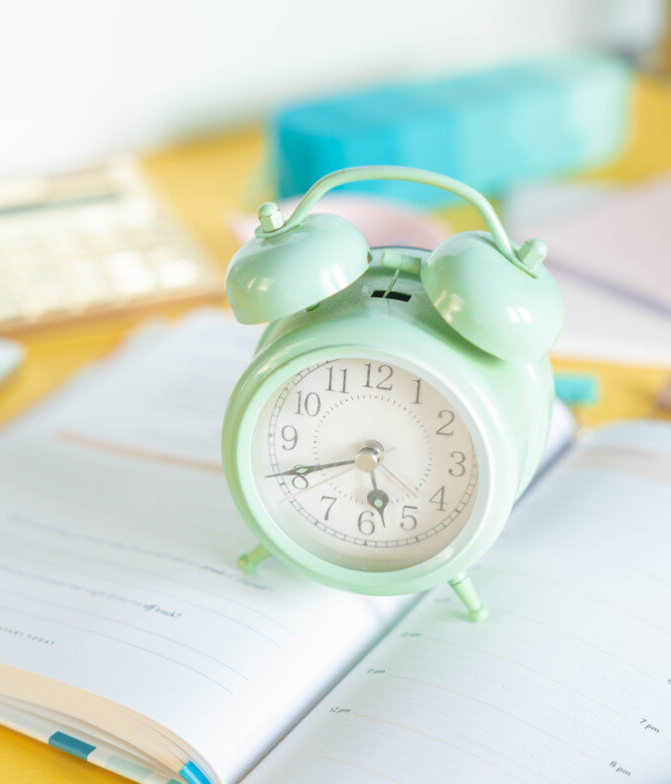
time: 5:41
